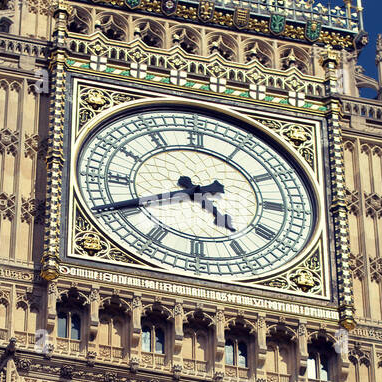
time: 4:40
